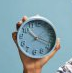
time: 10:17
